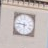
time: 5:46
